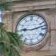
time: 9:12
